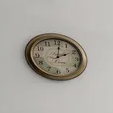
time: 2:01
